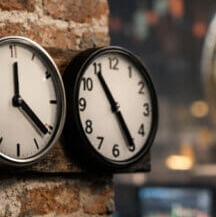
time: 4:54
